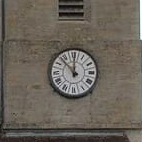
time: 11:52
